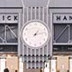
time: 1:13
